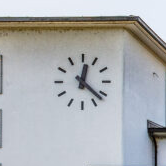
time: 12:21
